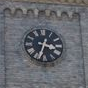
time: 3:33
